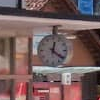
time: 12:21
